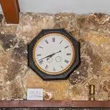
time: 7:41
